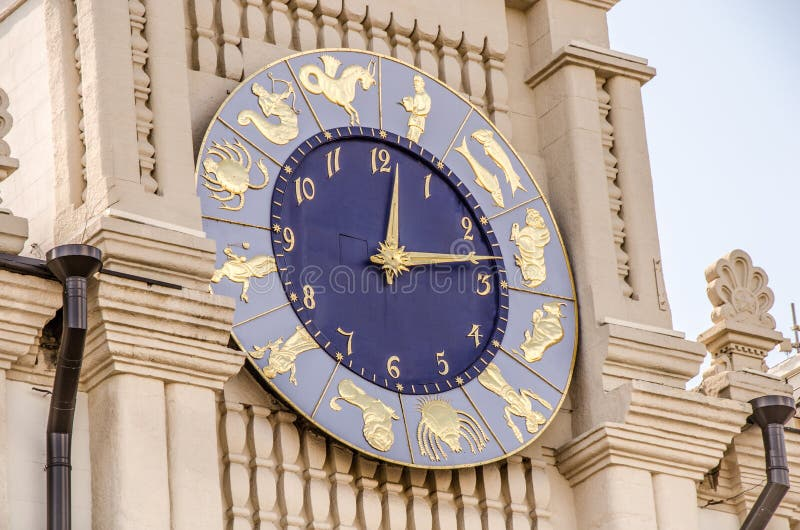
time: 12:13
